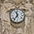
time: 11:36
